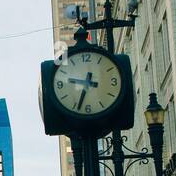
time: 9:33
